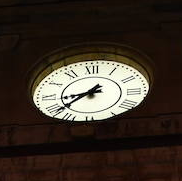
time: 8:38
